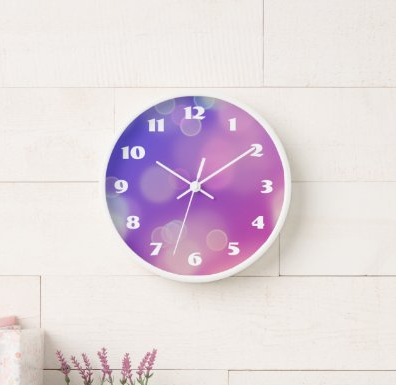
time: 10:09
